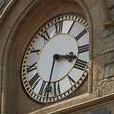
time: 3:32
